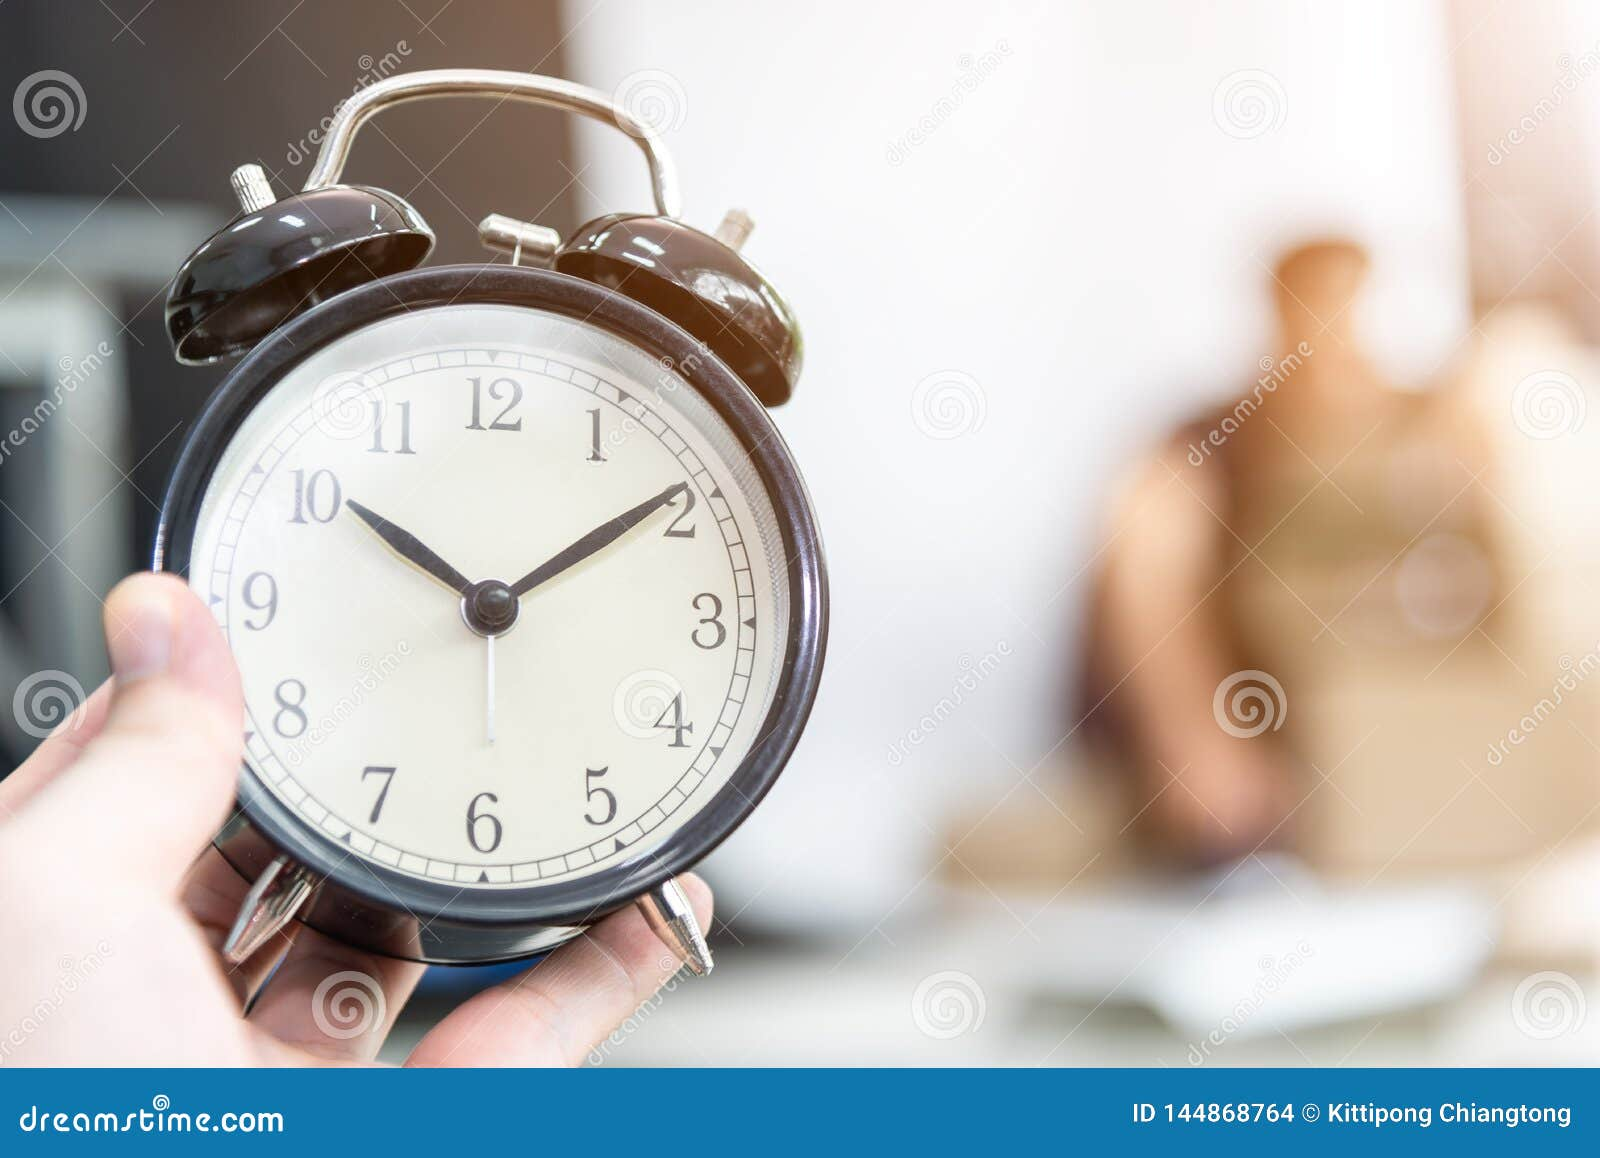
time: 10:09
